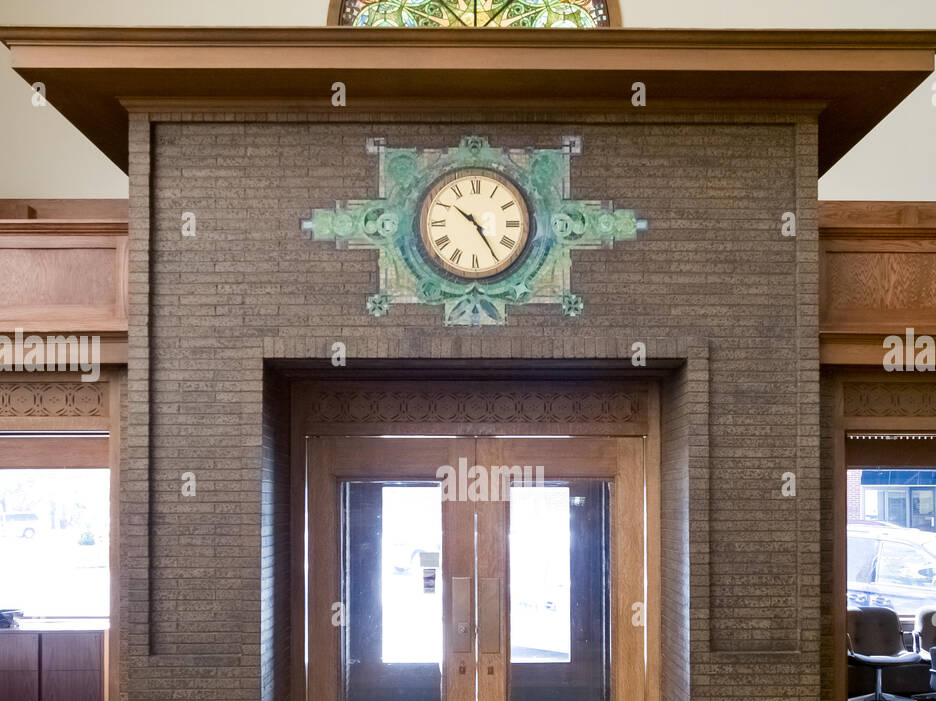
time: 10:24
